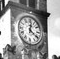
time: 12:20
